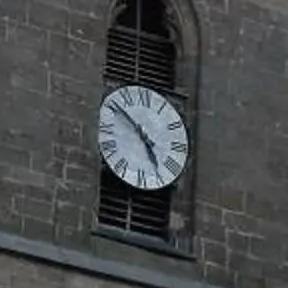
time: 4:51
